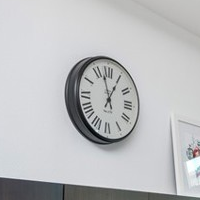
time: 12:57
